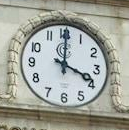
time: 4:00
